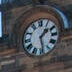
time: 1:28
